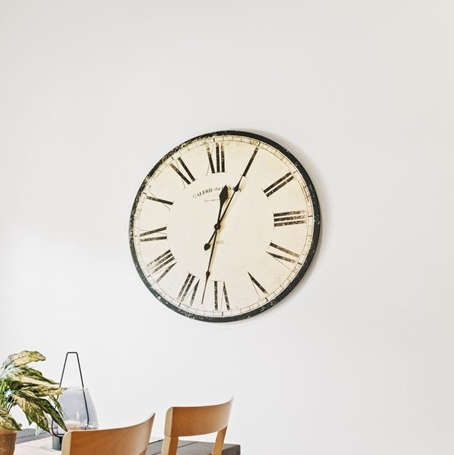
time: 12:32
